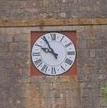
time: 9:54
